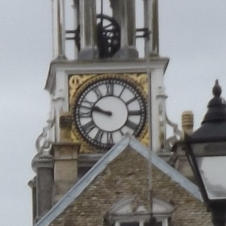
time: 9:47
